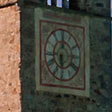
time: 5:59
